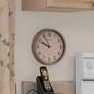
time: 9:55
